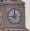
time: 8:59
